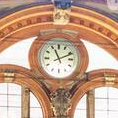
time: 11:11
